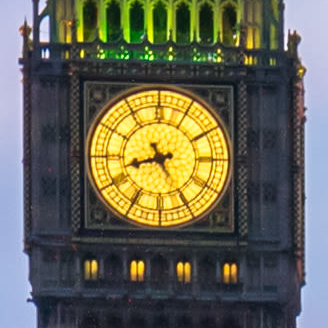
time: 8:25
